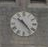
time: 10:23
